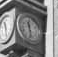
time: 11:28
